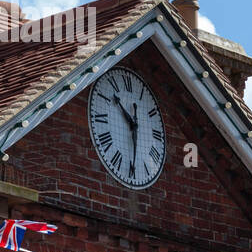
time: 10:30
